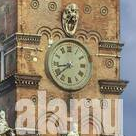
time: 8:38
